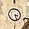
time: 3:27
